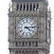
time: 4:13
